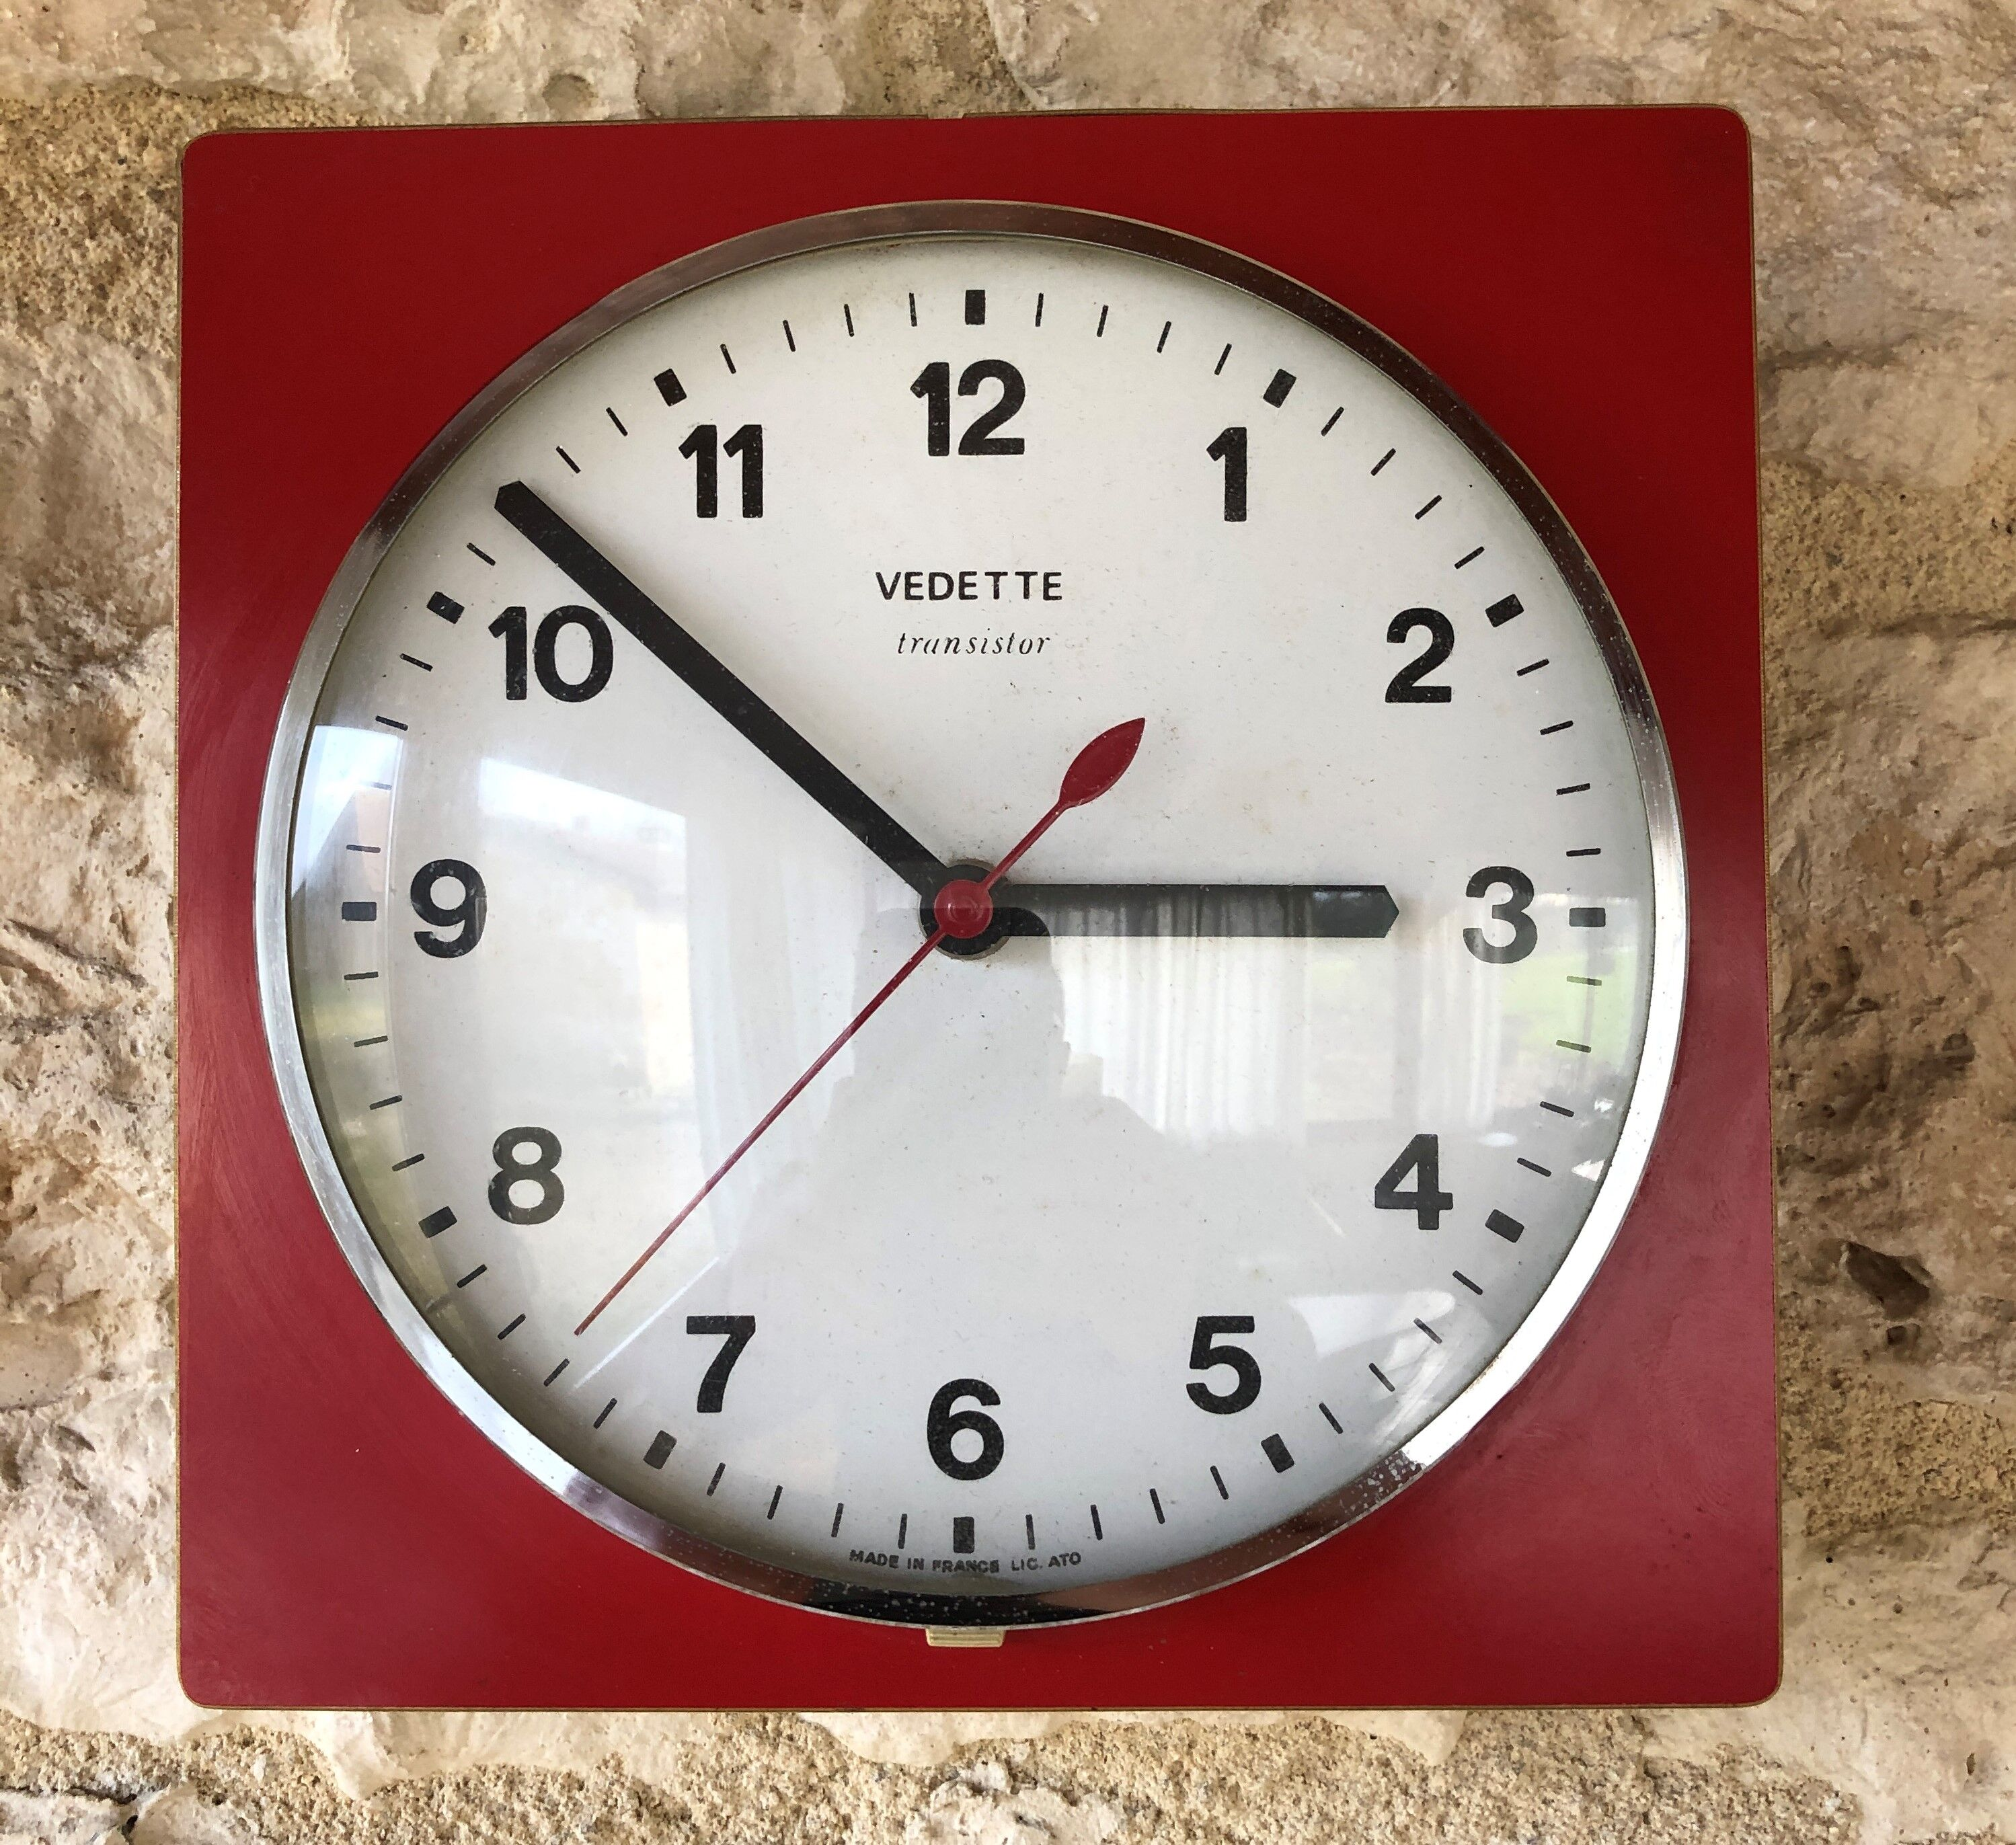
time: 2:51
